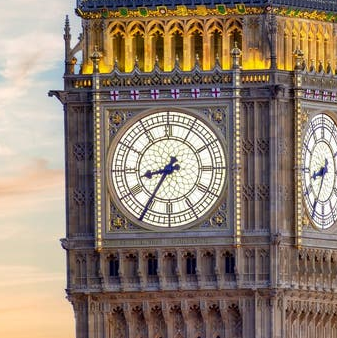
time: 8:35
